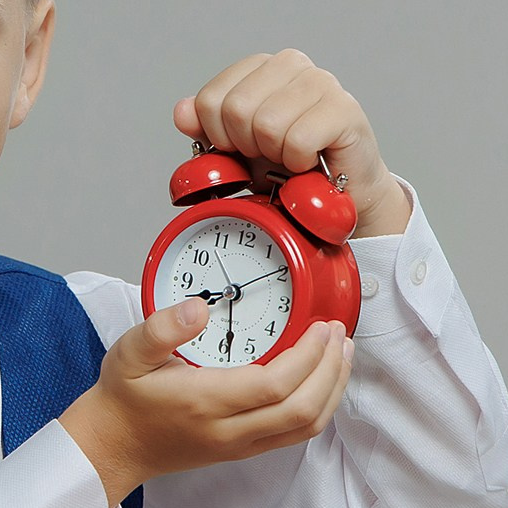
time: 8:28
